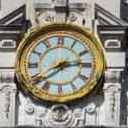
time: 2:38
